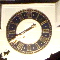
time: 1:39
